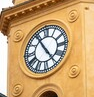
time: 4:54
